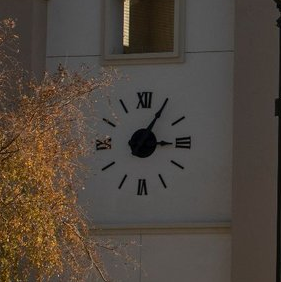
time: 3:05
